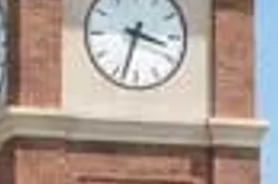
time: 3:33
